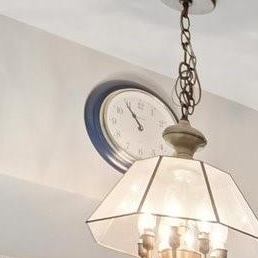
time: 10:54
